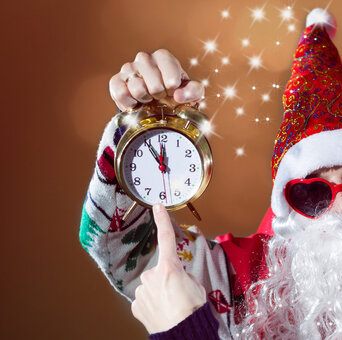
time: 11:54
